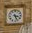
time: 3:26
